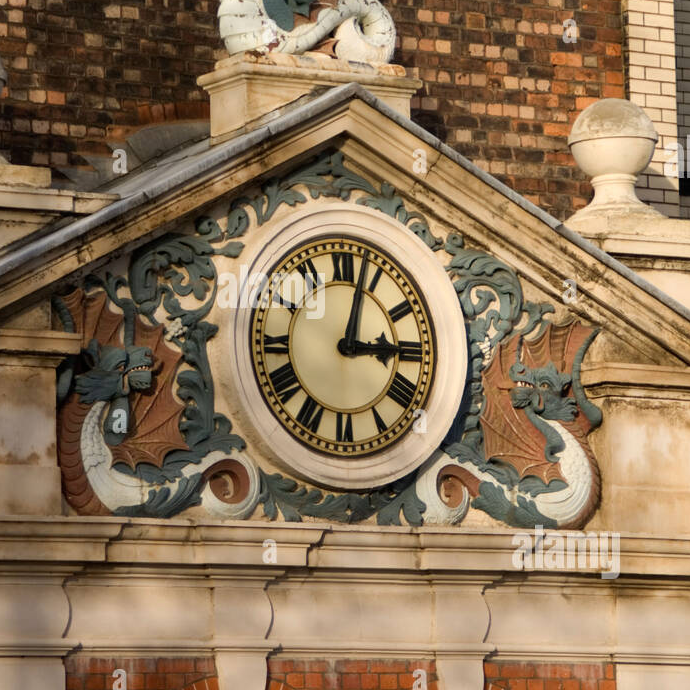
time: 3:02
